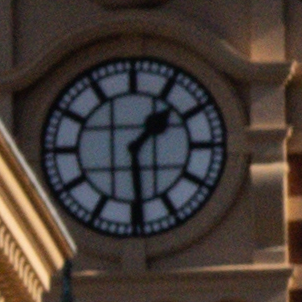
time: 1:29
